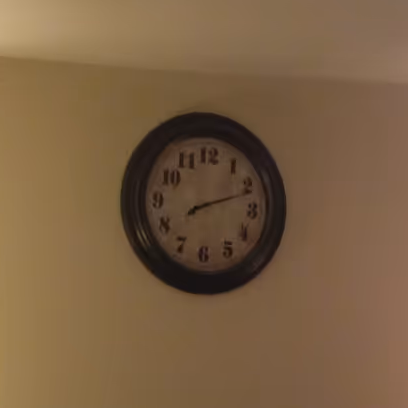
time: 8:11
